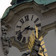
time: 3:40
